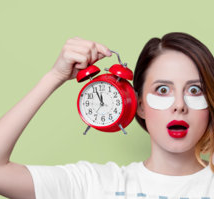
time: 11:55
